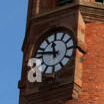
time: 11:46
